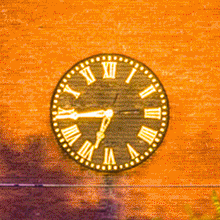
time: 6:44
